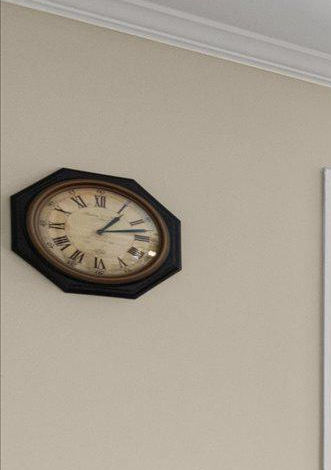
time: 1:13
